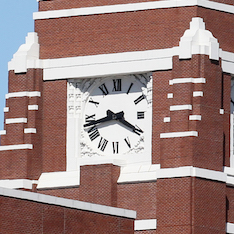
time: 8:19
